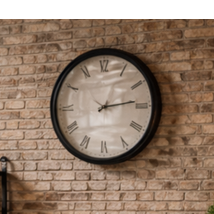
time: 1:13
